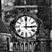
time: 3:00
